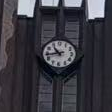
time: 10:43
